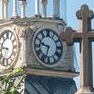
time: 9:33
